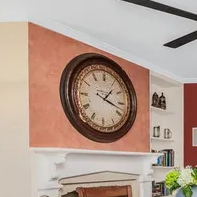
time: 1:18
